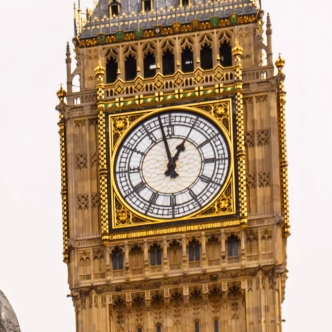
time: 12:58
